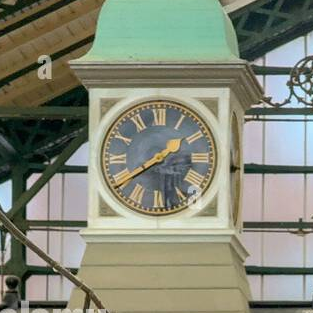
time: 1:39
